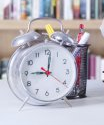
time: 9:01
